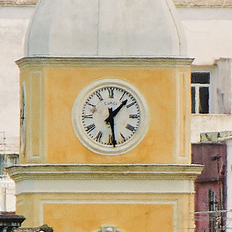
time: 1:29
